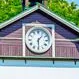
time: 1:29
